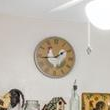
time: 1:43
